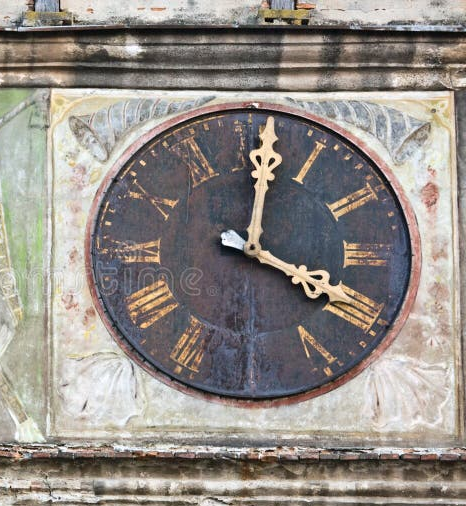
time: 4:01
